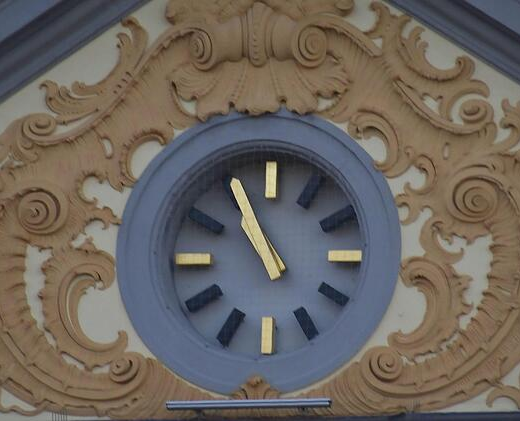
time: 10:55
